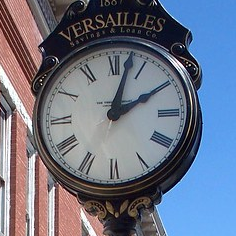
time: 2:02
